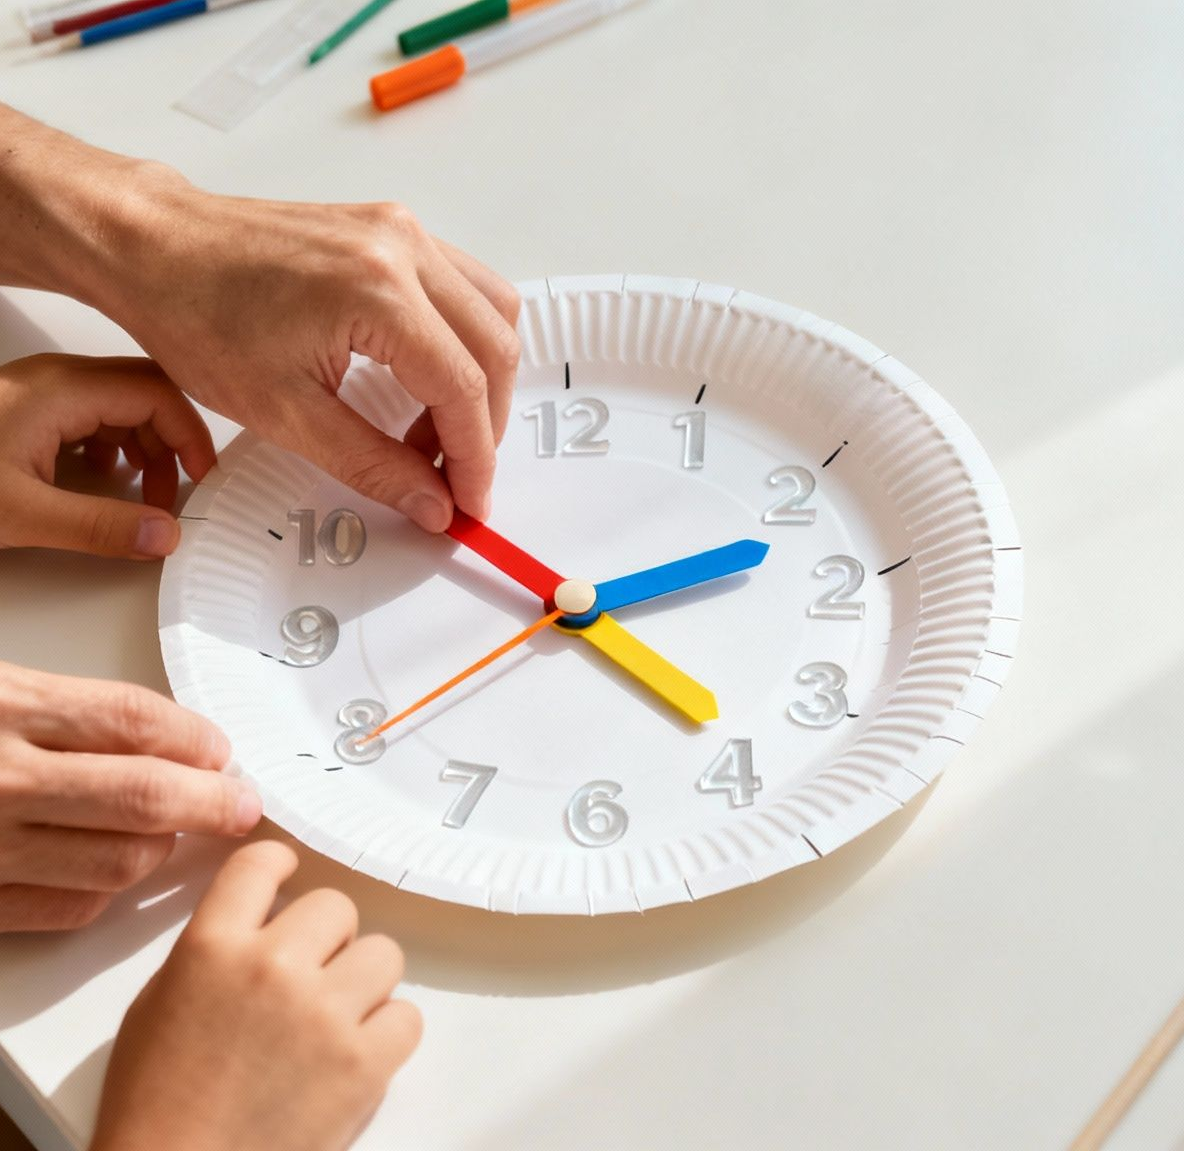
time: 2:23
